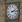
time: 2:15
